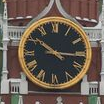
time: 10:15
